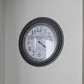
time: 4:12
